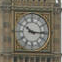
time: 10:15
